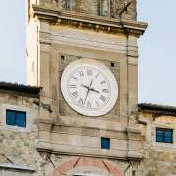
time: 3:33
